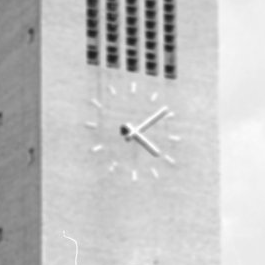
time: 4:08
